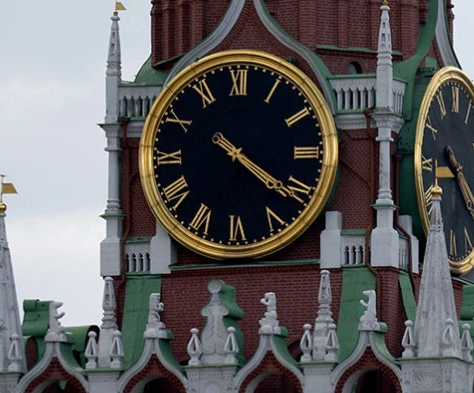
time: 4:20
